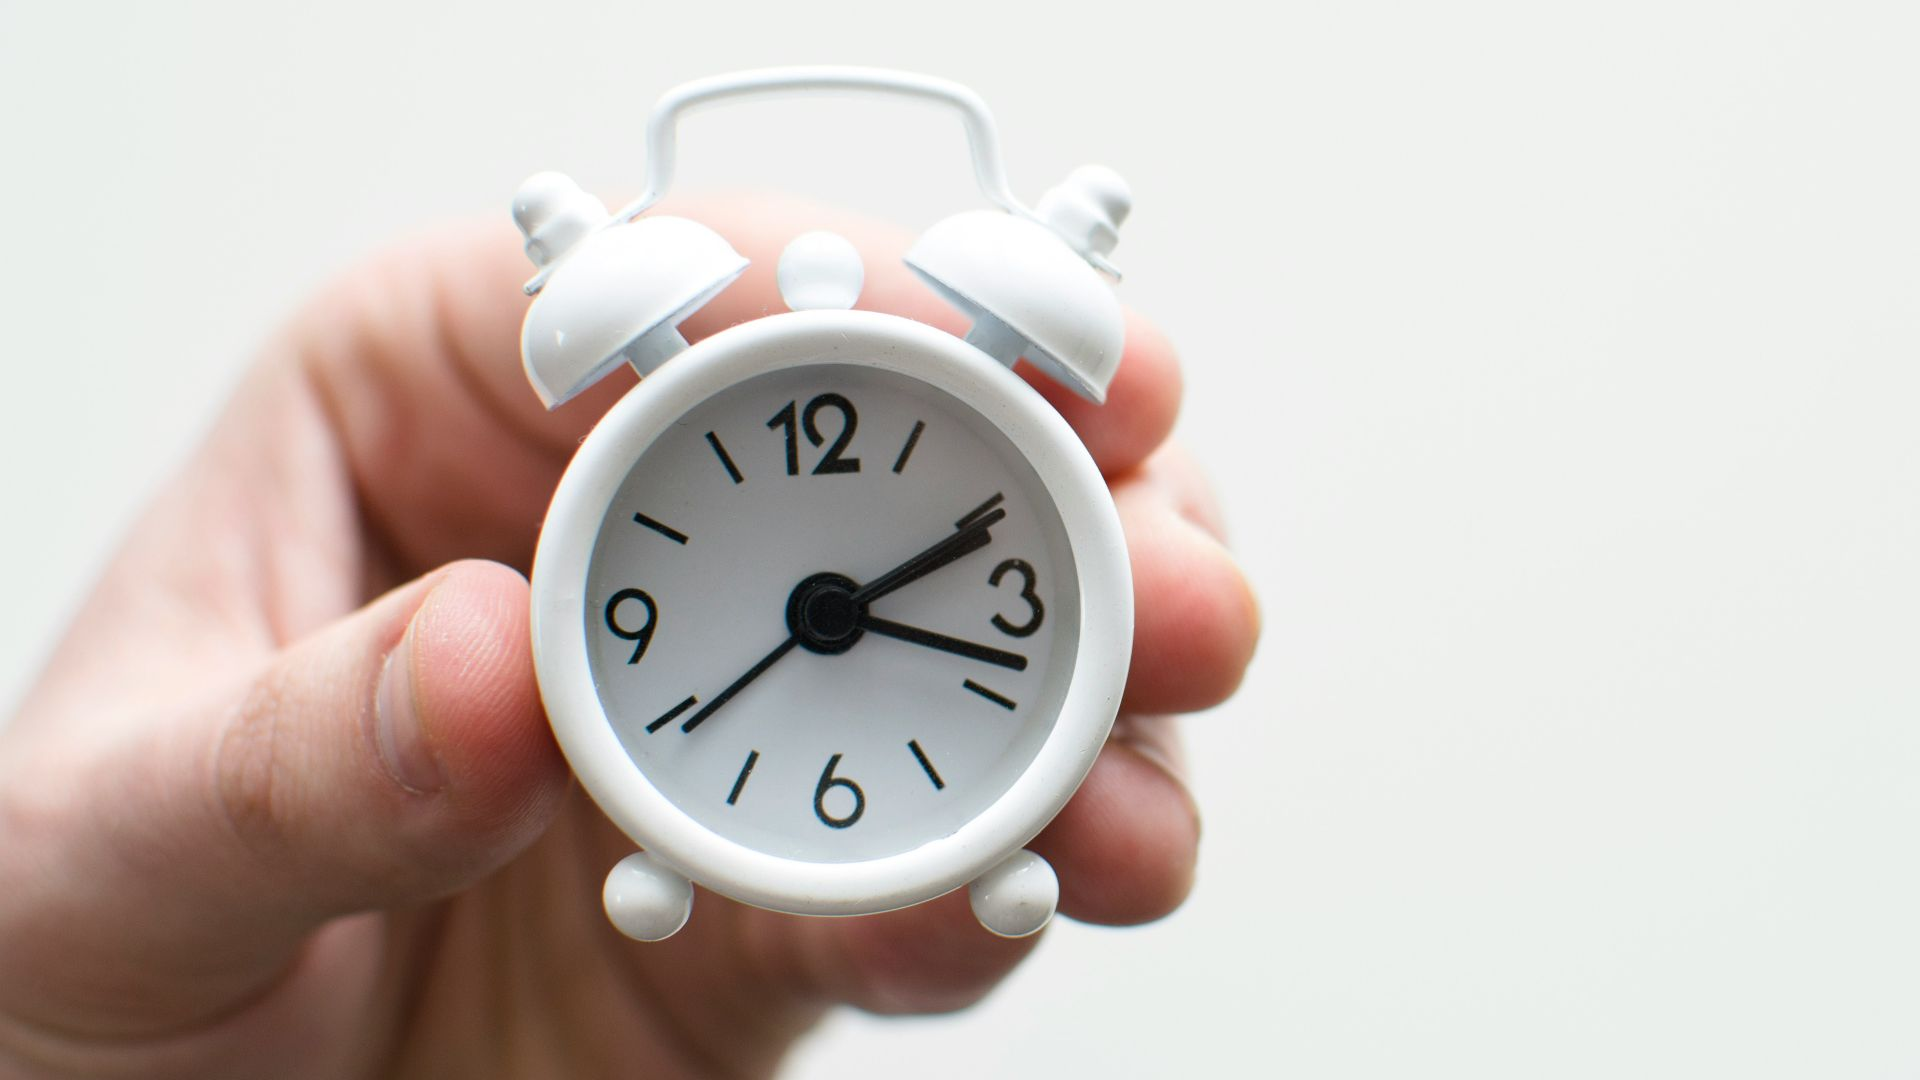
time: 2:18
